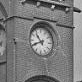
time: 10:41
